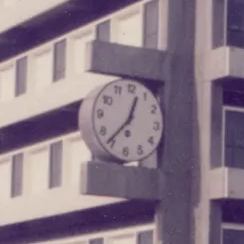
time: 12:36
